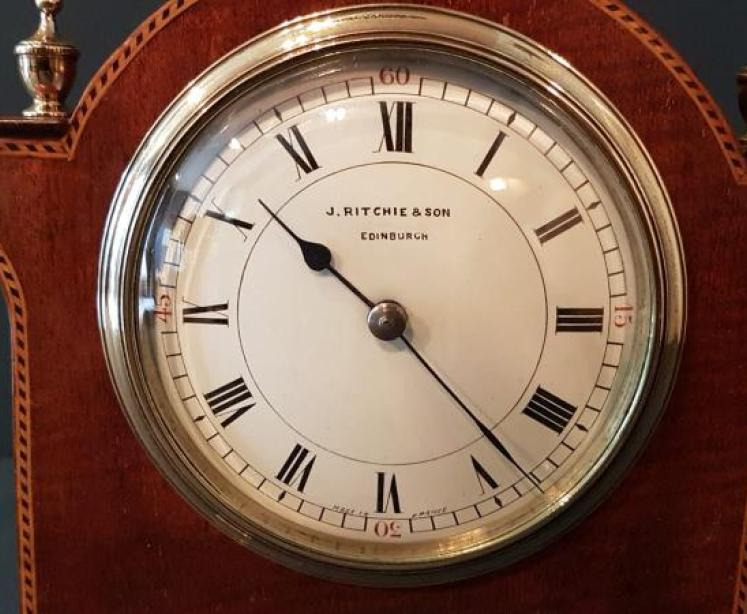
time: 10:23
